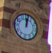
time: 12:01
